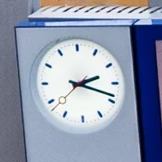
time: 2:18
